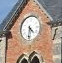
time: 4:31
